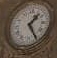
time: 1:24
